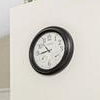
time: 10:43
